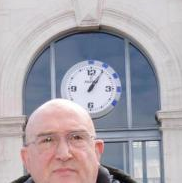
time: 1:05
